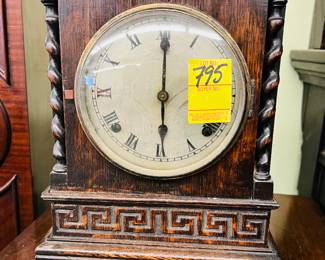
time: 6:00
